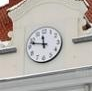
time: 11:47
